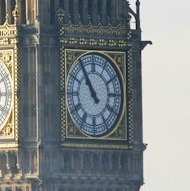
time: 10:54
